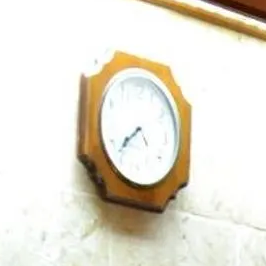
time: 7:37
